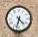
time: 4:32
